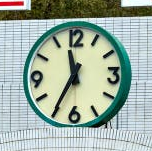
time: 11:35
